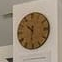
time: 10:31
